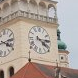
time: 4:14
